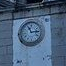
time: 11:13
